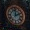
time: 12:10
